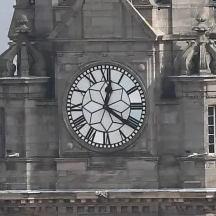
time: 12:21
